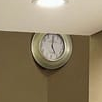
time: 5:00
